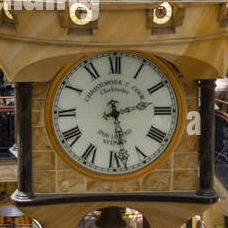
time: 2:28
